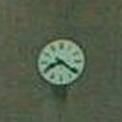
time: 8:21
